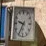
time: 9:34
